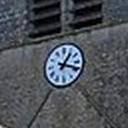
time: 1:18
